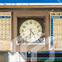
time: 4:31
